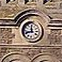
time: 11:42
